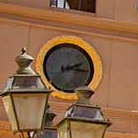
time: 2:15
